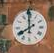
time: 7:59
